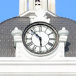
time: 5:52
